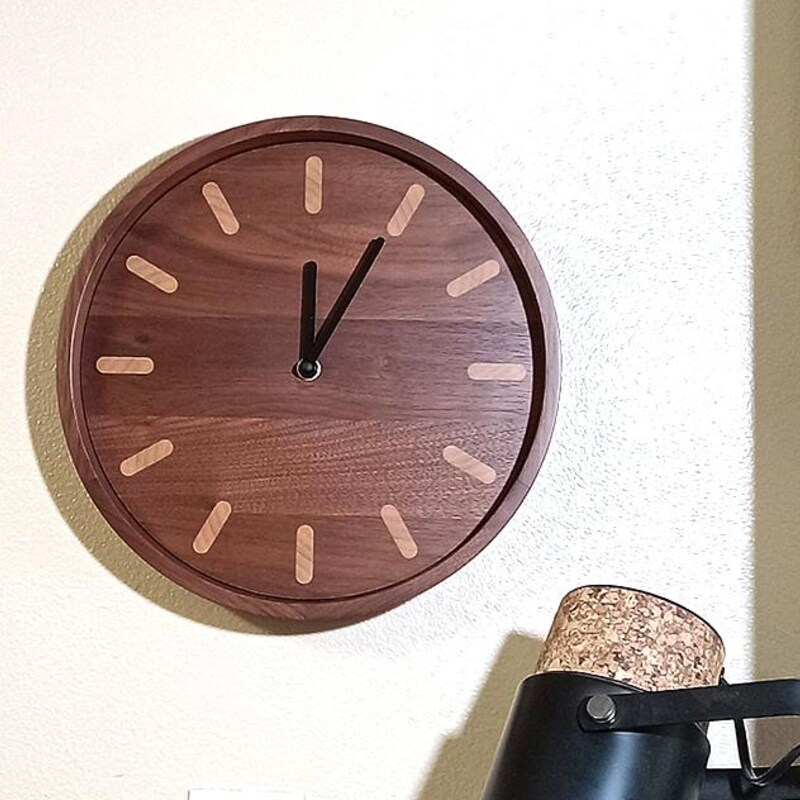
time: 12:04
